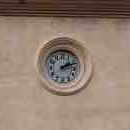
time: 2:12
